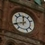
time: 11:41
